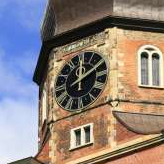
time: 12:09
